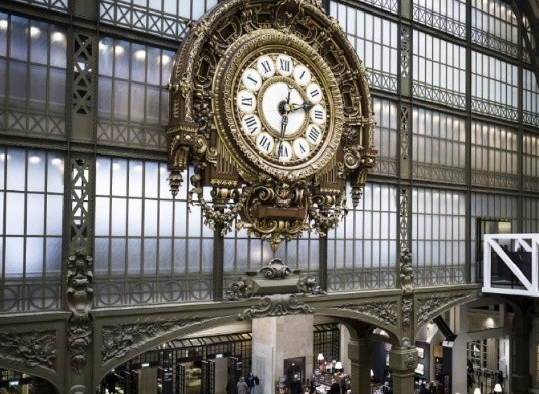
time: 2:32
